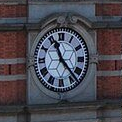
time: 11:23
